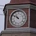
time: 10:51
